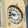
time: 9:42
